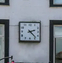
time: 2:23
